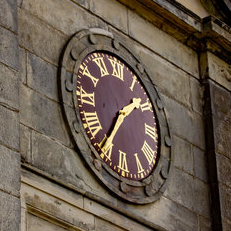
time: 1:35
